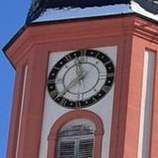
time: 11:37
